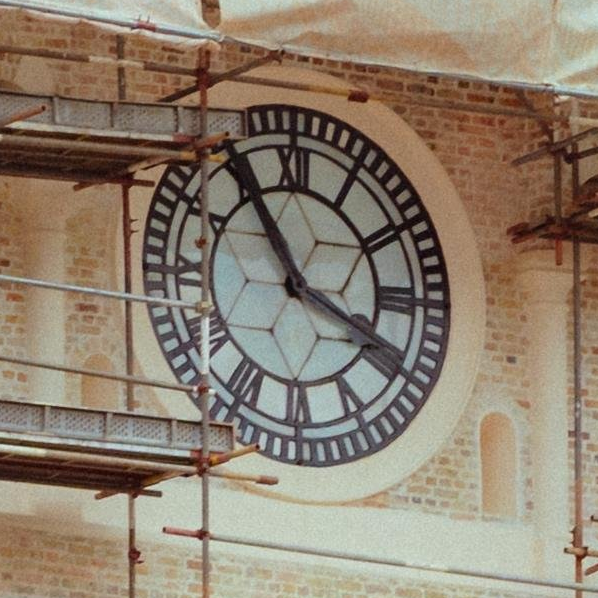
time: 3:54
